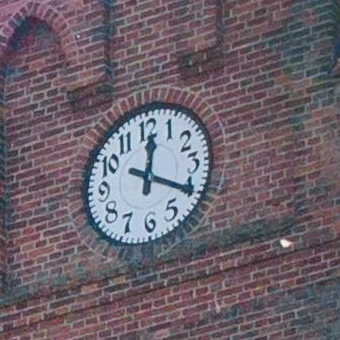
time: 12:20
